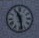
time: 11:28
